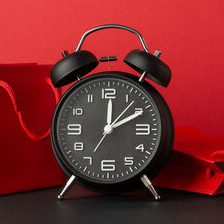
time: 12:10
